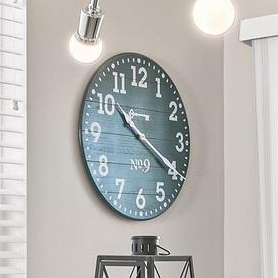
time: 10:20
